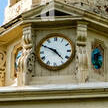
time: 4:49
